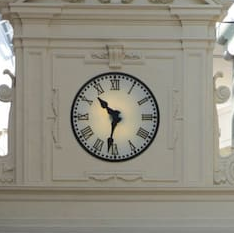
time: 10:32
